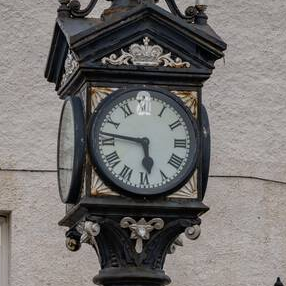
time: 5:46
